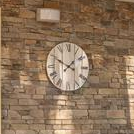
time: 1:49
